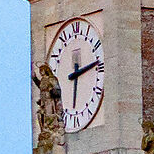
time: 6:13
